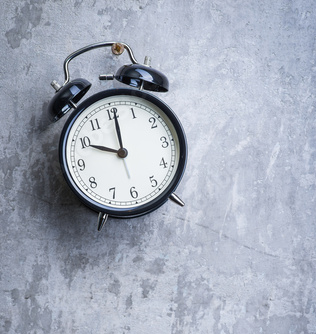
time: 10:00
